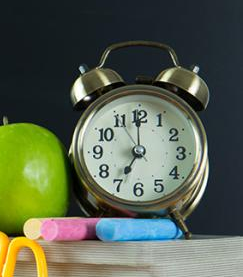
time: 7:00
